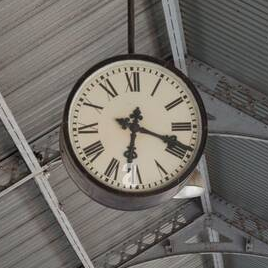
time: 6:18
